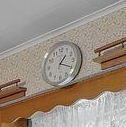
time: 1:19
